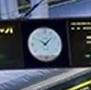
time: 10:07
